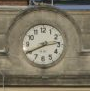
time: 2:40
